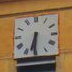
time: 6:30
